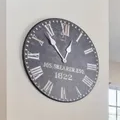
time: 12:53
